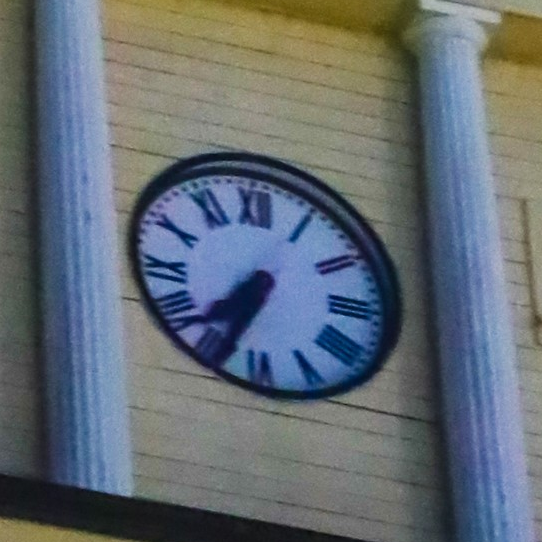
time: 7:34
